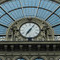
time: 7:06
